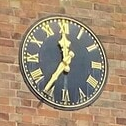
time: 11:35
